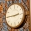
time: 2:45
